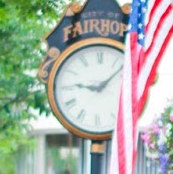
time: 9:08
